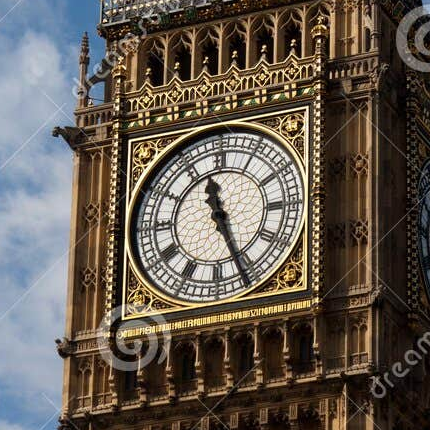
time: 11:26
